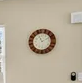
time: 11:09
